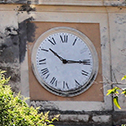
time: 10:14
